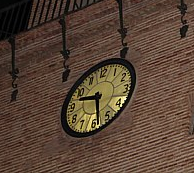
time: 9:28
